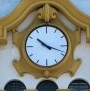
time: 10:18
